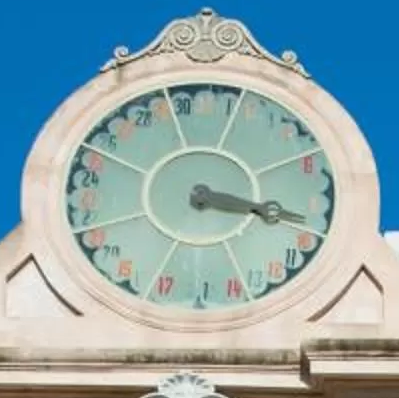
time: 3:17
